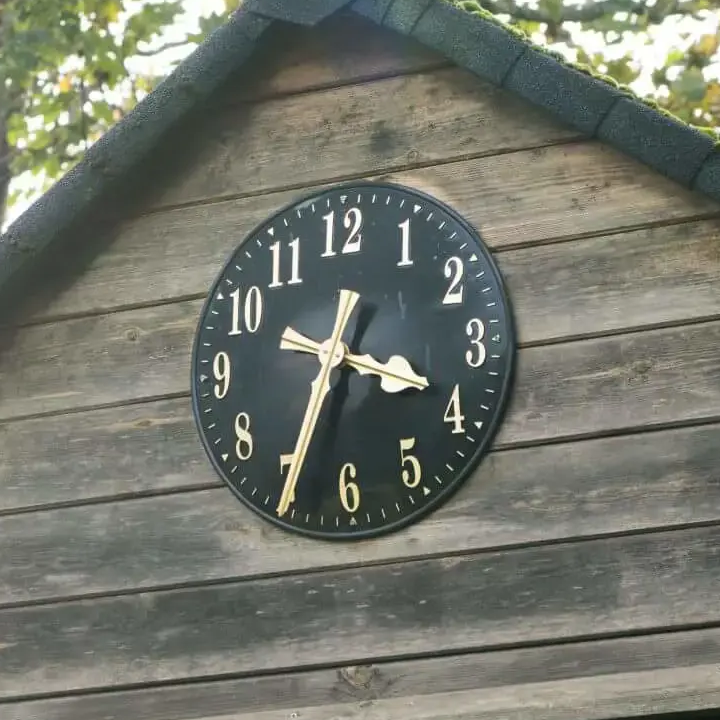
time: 3:34
